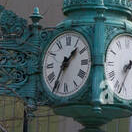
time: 1:35
